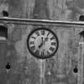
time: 7:06
